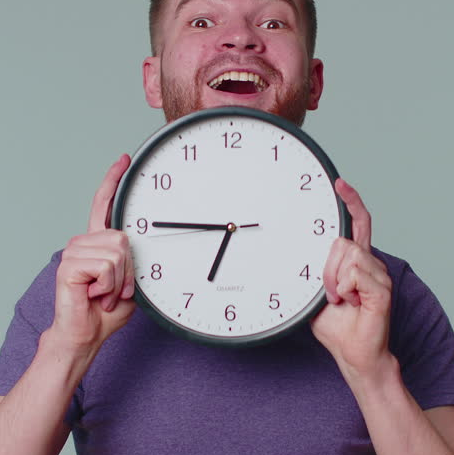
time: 6:45
